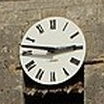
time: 2:46
